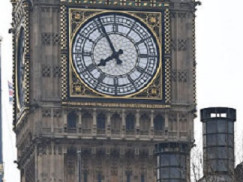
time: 7:55
